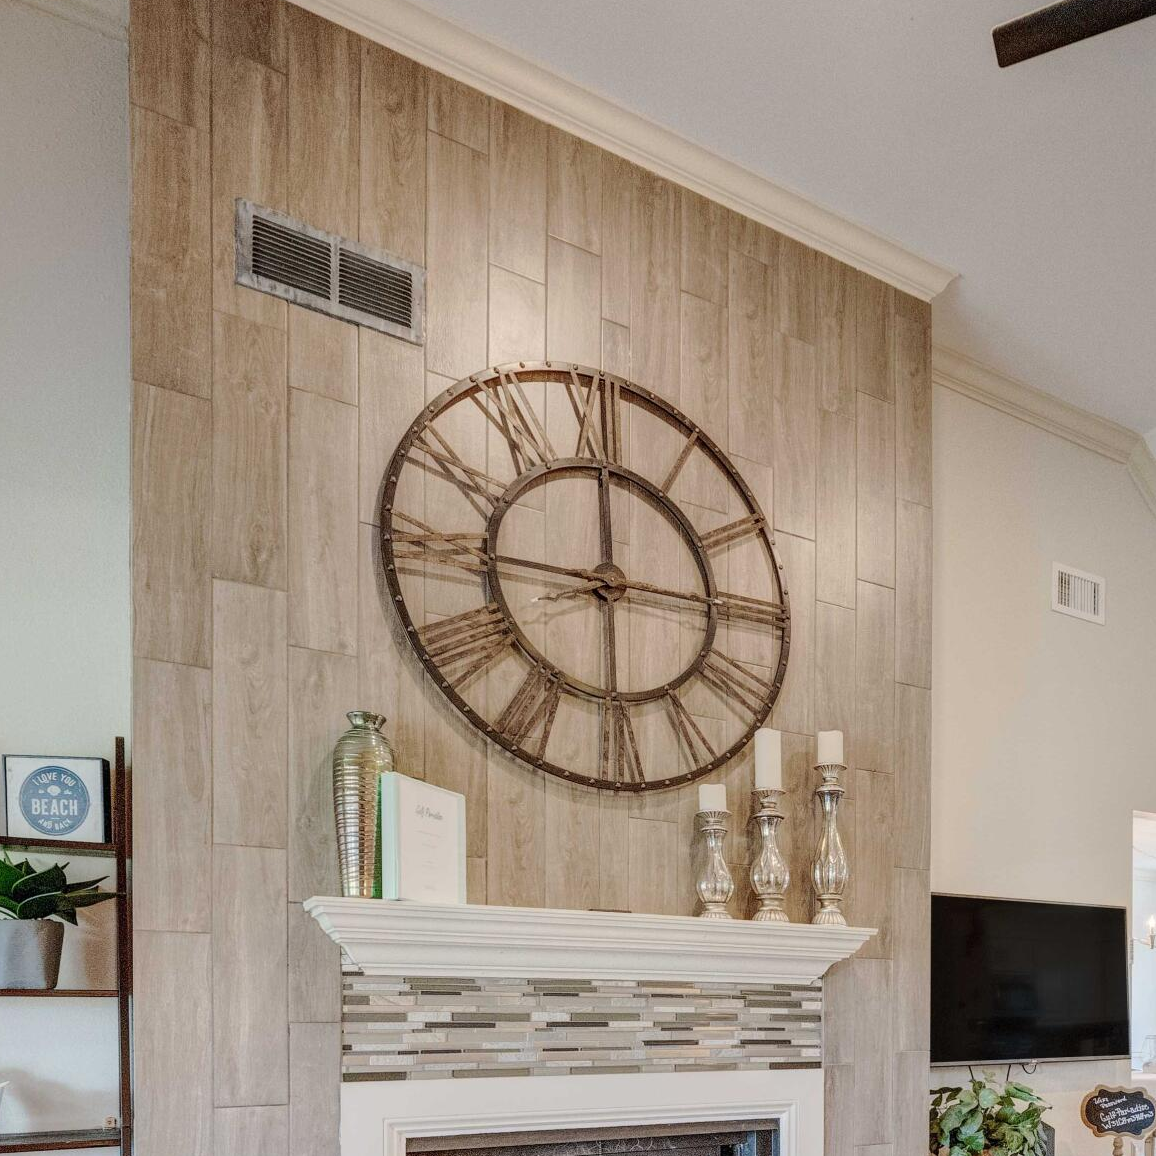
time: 9:01
